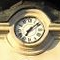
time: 7:08
